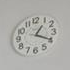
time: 1:19
